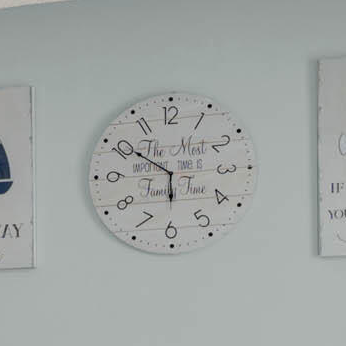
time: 5:50
